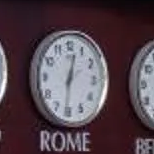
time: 12:30
